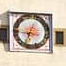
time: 12:33
